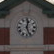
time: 12:26
